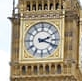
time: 2:18
